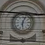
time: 6:03
